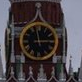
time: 2:58
